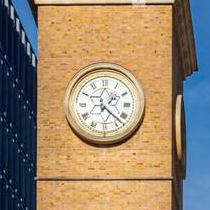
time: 1:22
